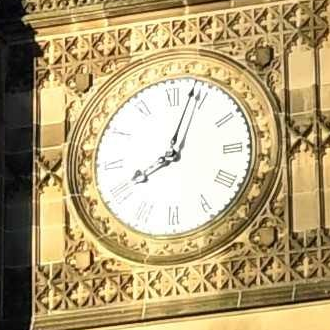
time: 8:03
